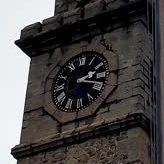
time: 2:18
